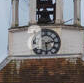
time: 2:29
